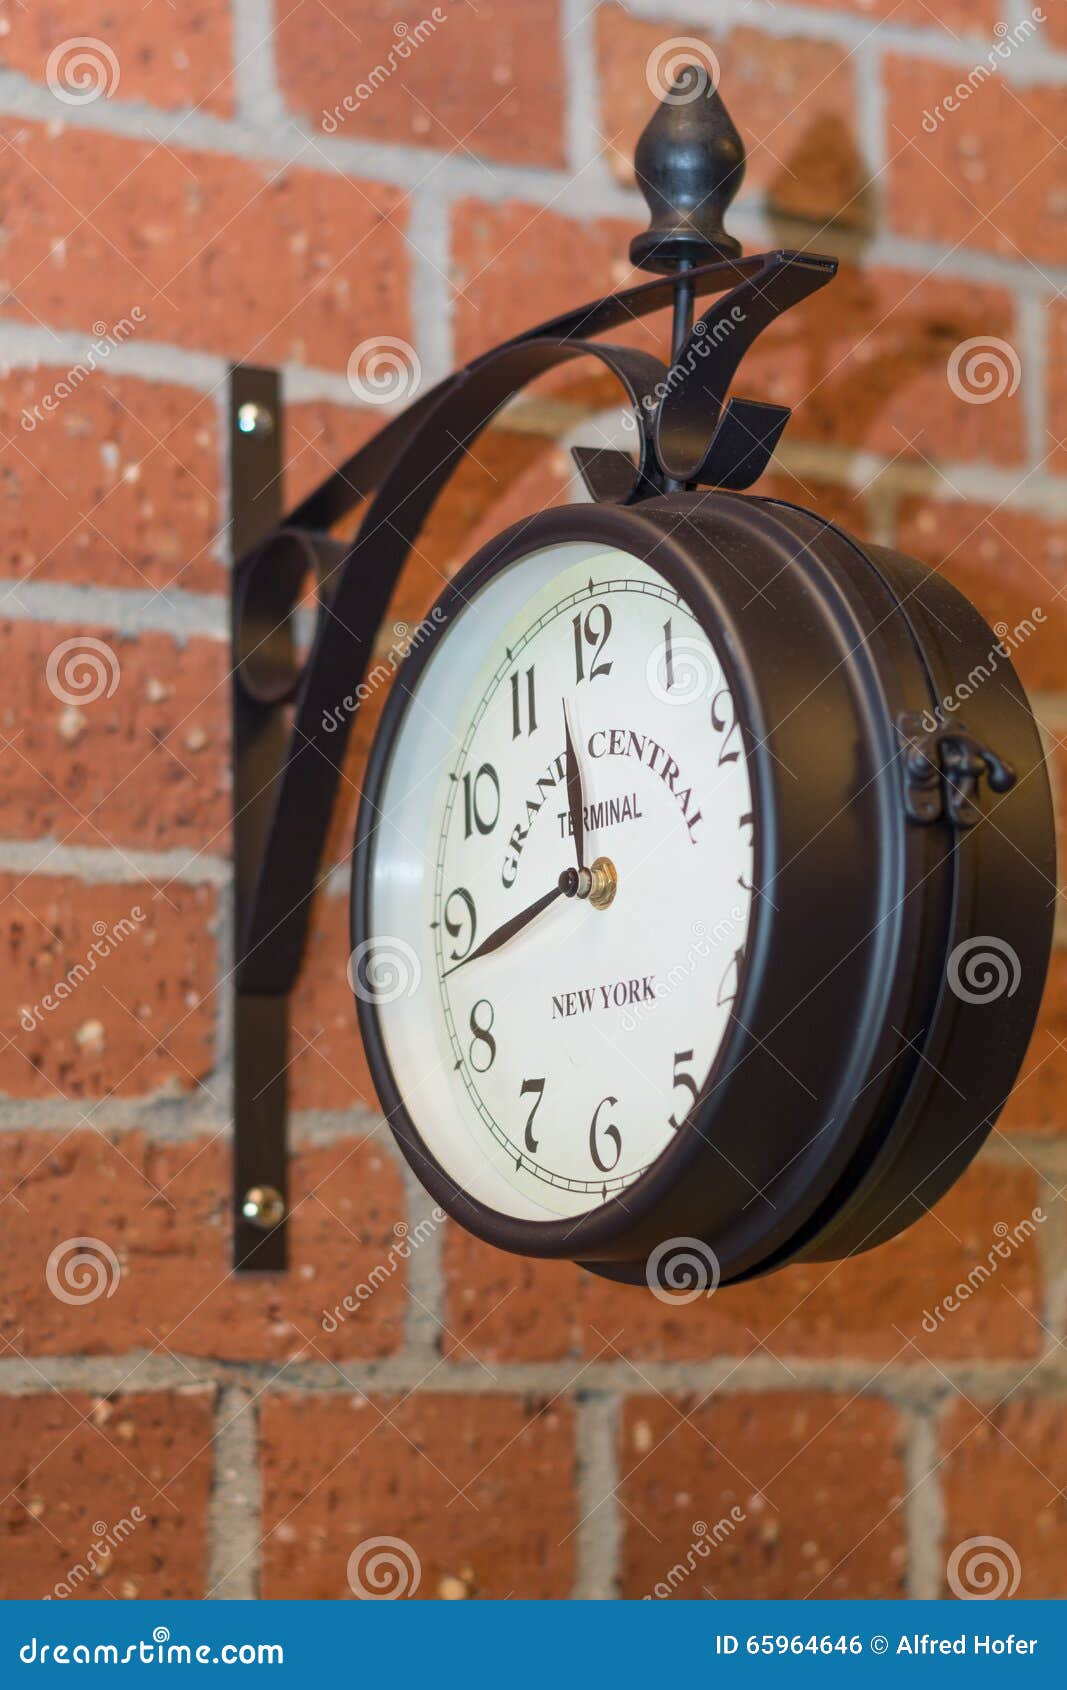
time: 11:42
